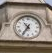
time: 10:35
